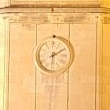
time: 6:10
